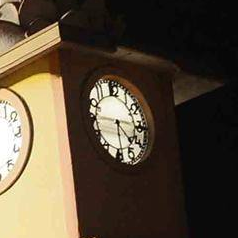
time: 4:29
